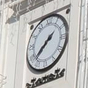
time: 1:38
